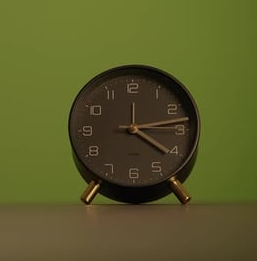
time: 4:13
